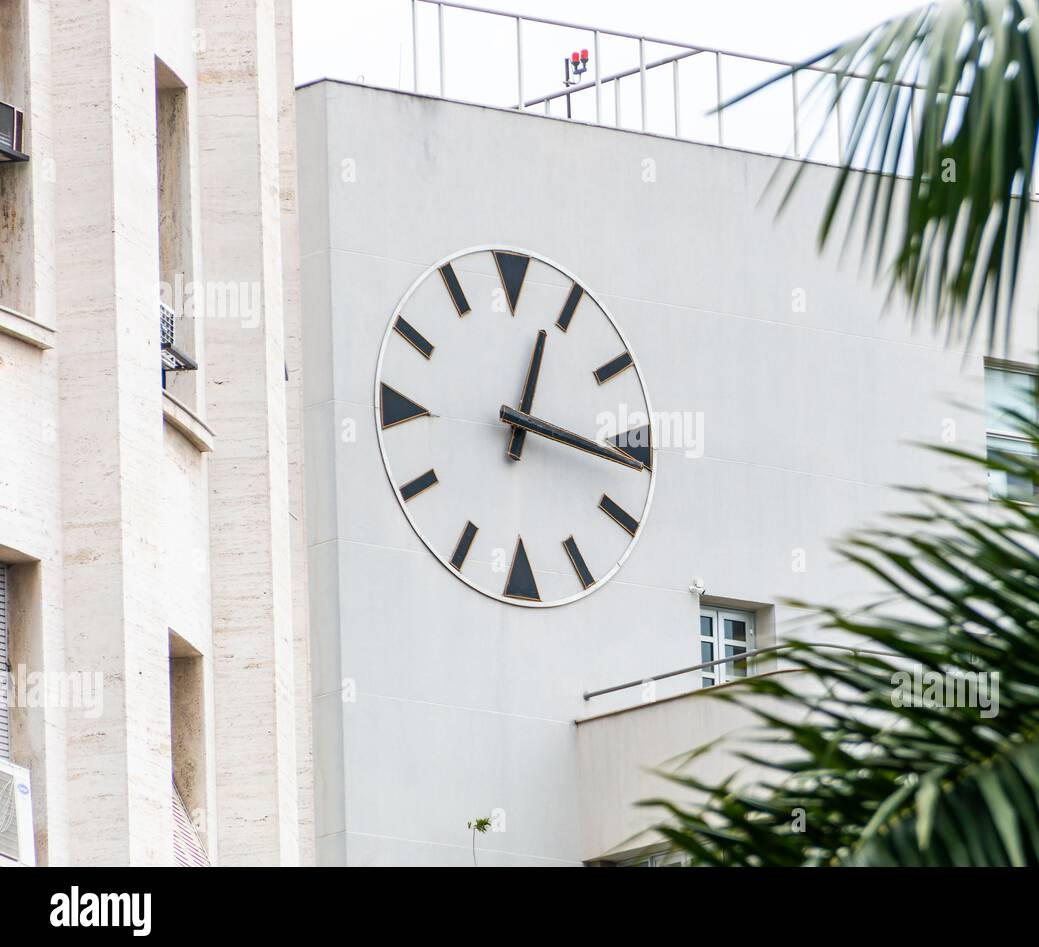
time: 12:16
